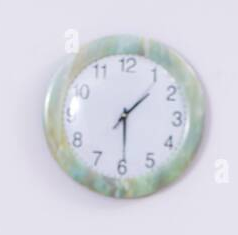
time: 1:29
